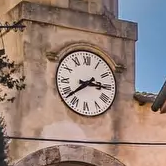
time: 2:38
